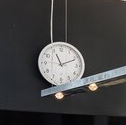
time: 11:10
